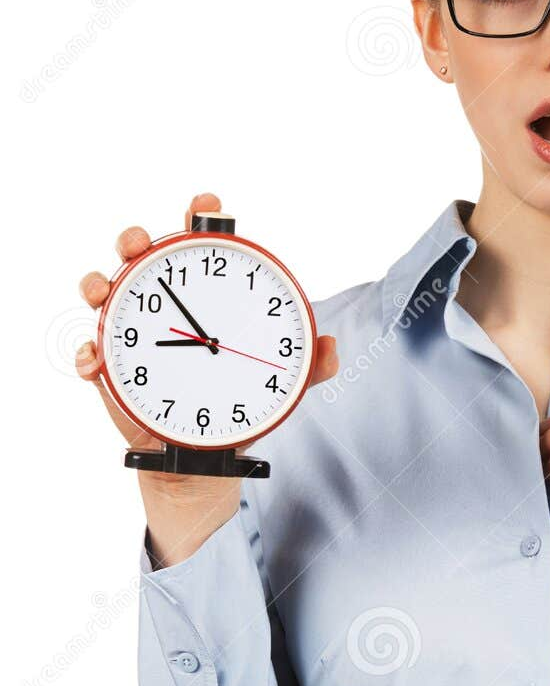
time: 8:53
